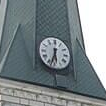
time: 5:32
